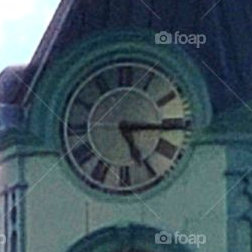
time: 5:15
